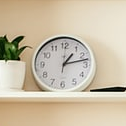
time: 1:12
